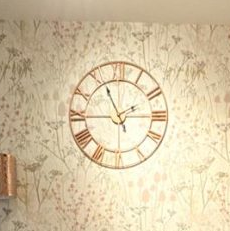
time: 1:55
